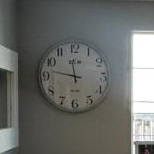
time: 11:47
